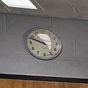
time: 9:48
